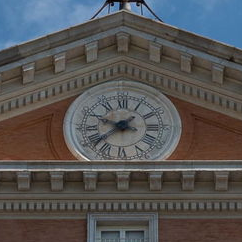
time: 9:38
